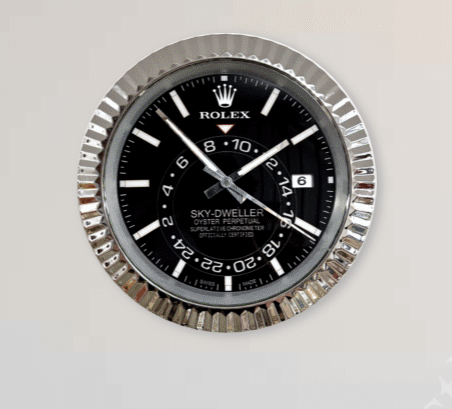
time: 1:52
